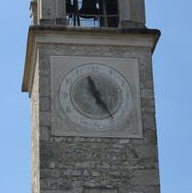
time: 11:24
